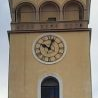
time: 10:03
